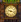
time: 9:17
